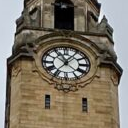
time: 11:05
